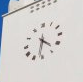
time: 4:31
